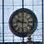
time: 9:31
